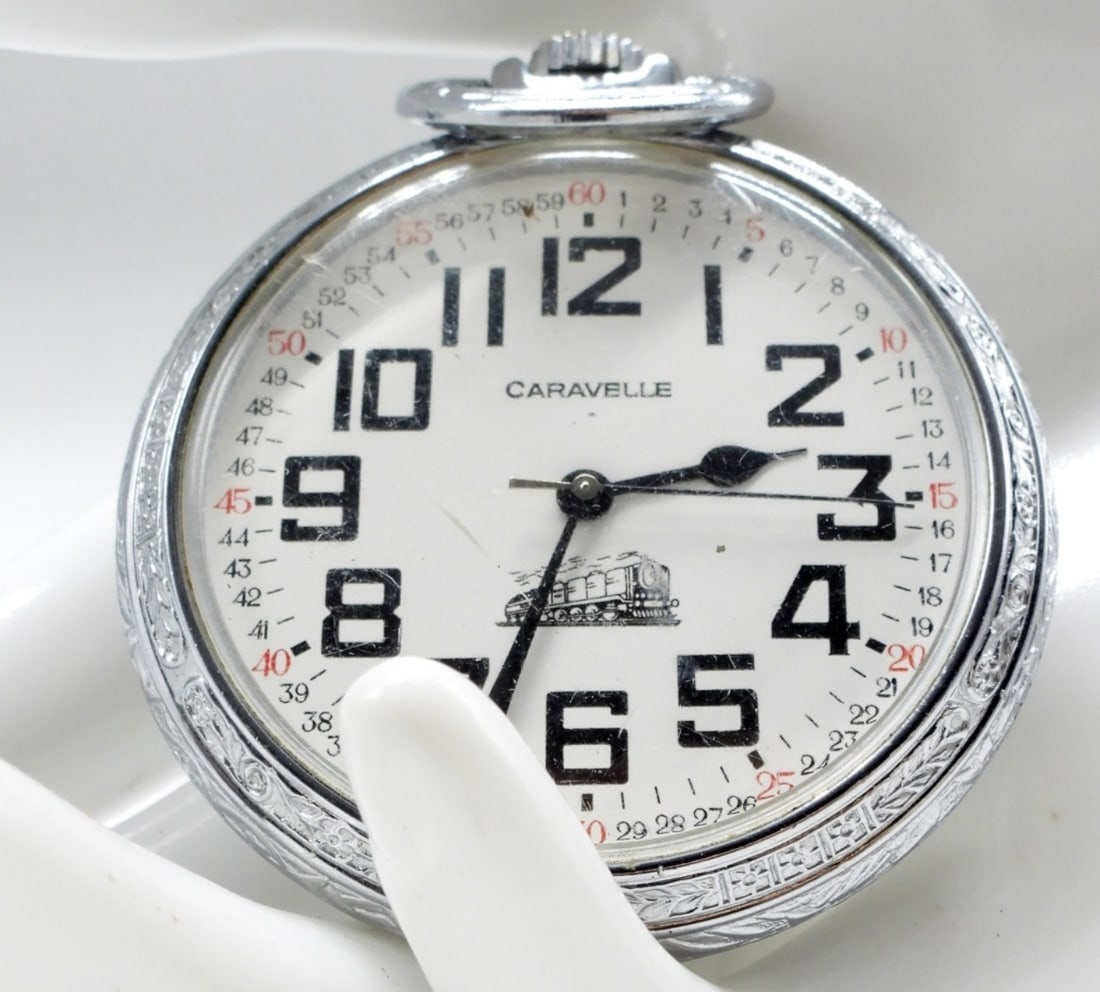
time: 2:33
